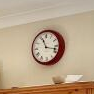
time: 11:17
